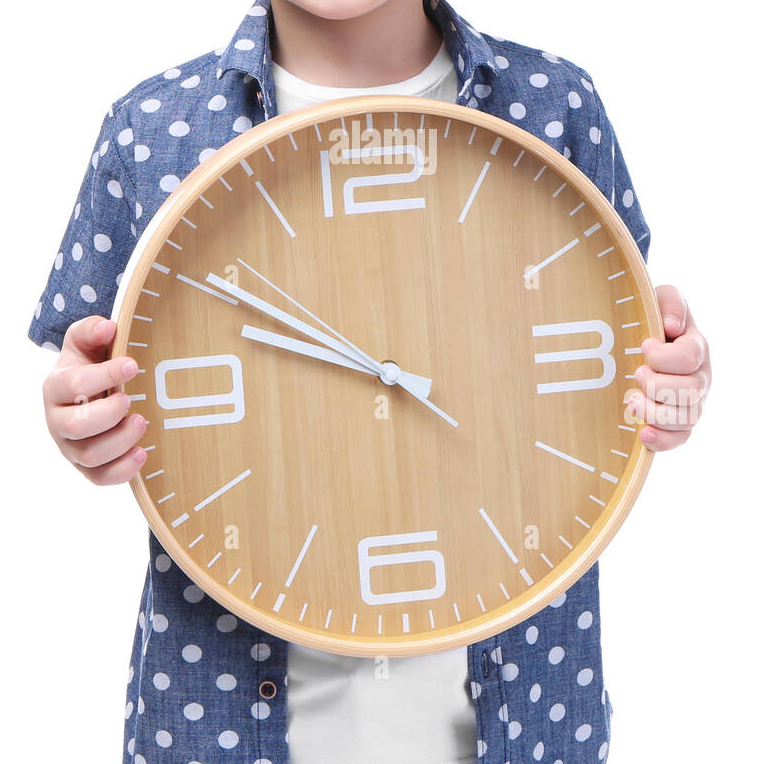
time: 9:50
